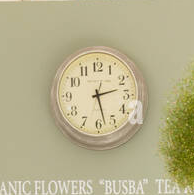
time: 2:27
